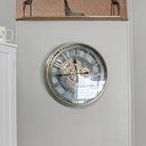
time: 11:43
